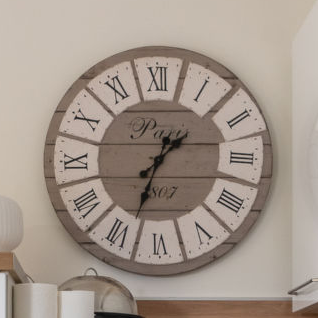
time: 1:33
